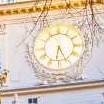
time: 6:25
